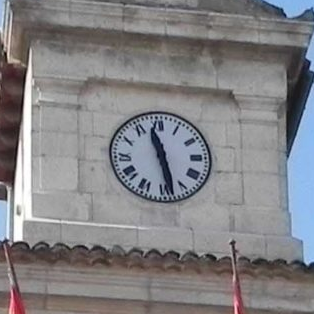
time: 11:28
